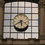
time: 5:40
